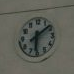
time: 6:08
